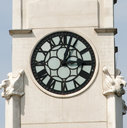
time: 3:02
